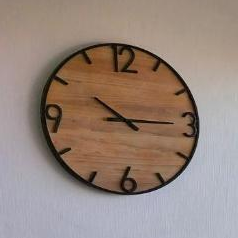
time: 10:14
